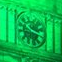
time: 10:17
